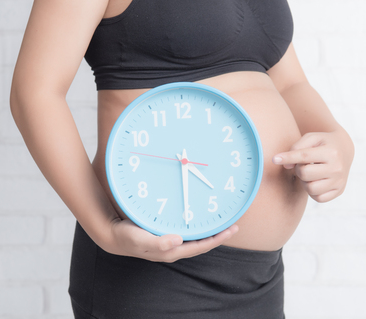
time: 4:29
